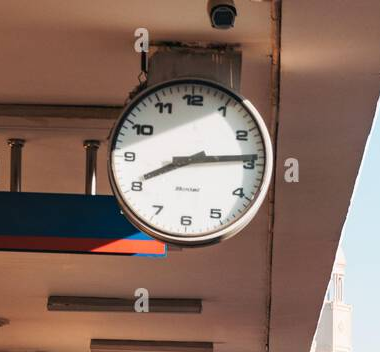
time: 8:14
